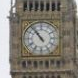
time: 10:53
